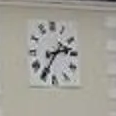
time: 2:35
